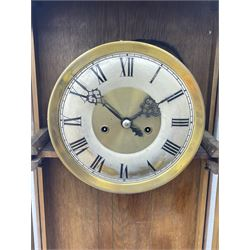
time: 1:51
